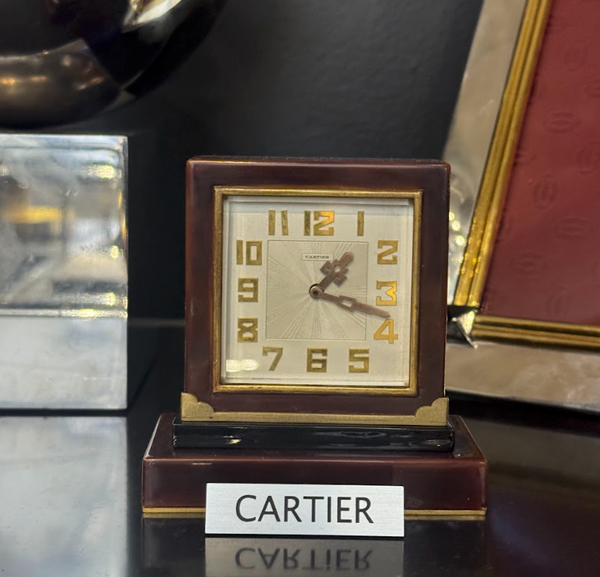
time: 1:18
